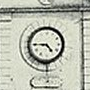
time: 4:44
